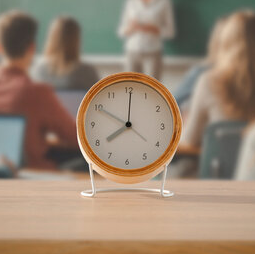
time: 7:49
